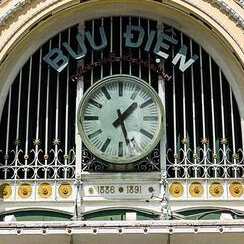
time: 1:27
